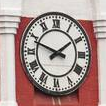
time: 1:48
